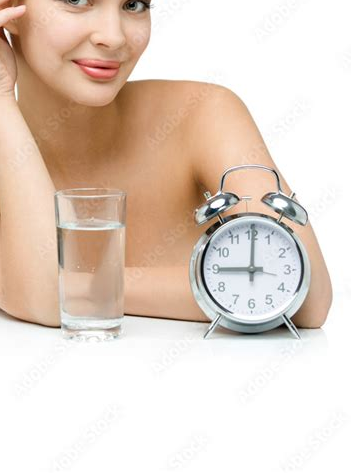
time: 9:00
